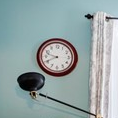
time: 9:40
